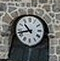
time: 10:42
